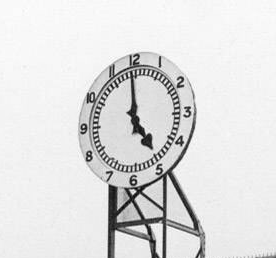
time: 4:59
